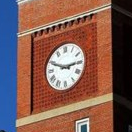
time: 2:48
